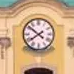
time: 7:51
